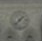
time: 1:37
